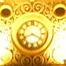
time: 8:19
